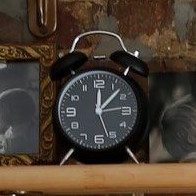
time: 12:07
